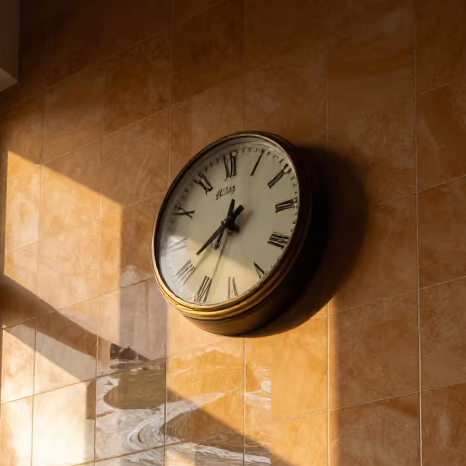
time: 8:01
